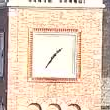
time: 1:36
